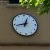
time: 12:43
